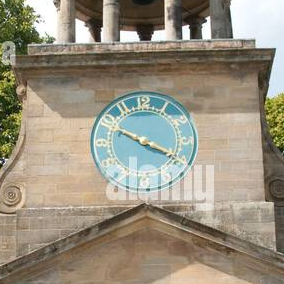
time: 3:49
